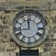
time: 11:43
